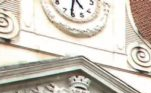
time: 4:31
